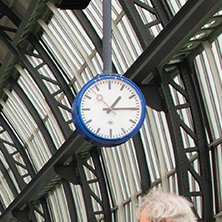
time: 1:14
